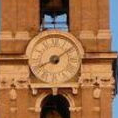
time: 8:09
